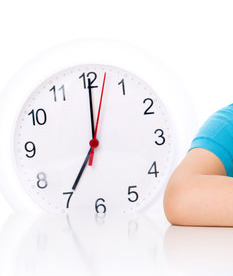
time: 7:00
